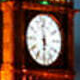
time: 5:58
